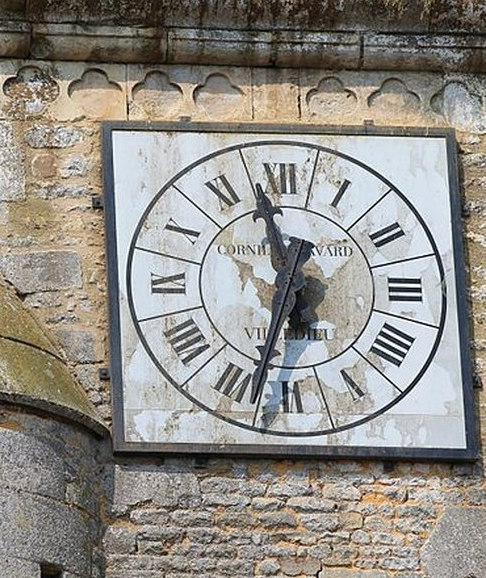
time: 11:32
